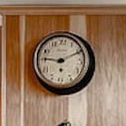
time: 9:10
